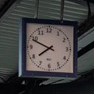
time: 7:48
